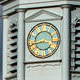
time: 3:43
